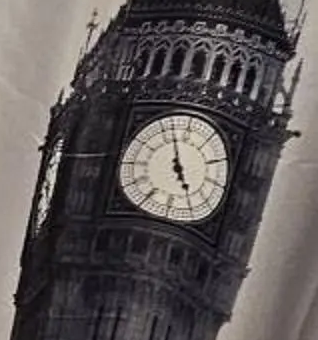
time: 4:56
